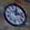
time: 12:13
